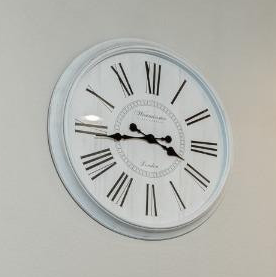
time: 3:43
